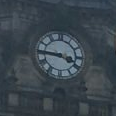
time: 3:45
